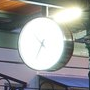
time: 4:34
